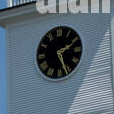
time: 2:26
